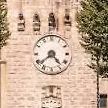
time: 4:38
